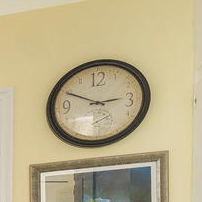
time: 2:49
